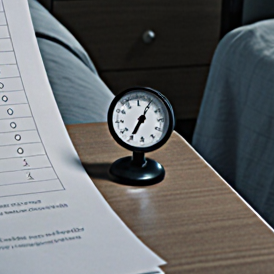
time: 7:04
